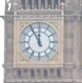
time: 11:55
